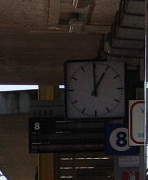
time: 12:59
